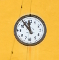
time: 11:53
